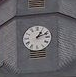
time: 1:11
